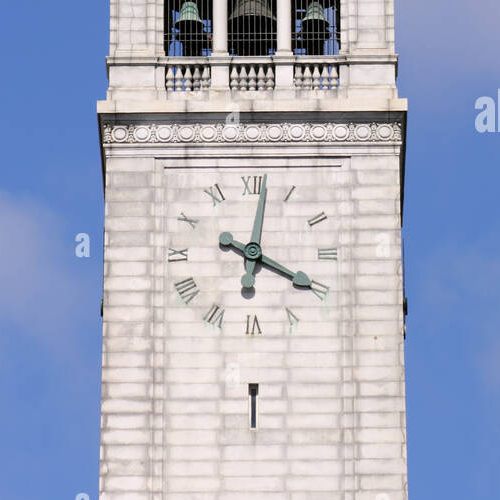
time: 4:01
